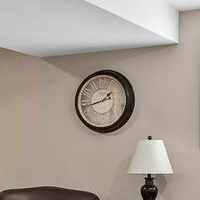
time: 1:42
